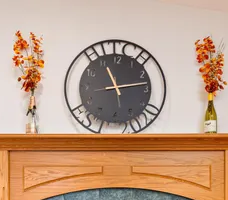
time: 11:13
